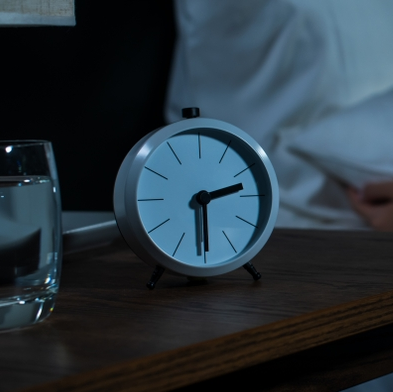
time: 2:29
